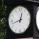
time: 12:42
